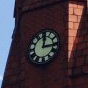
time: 12:14
